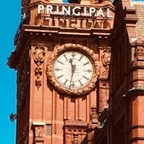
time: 11:31
